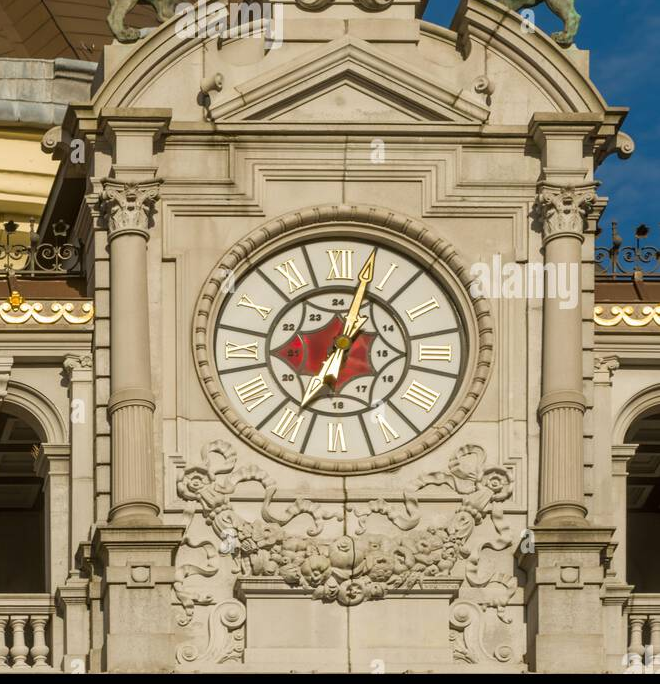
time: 7:02
